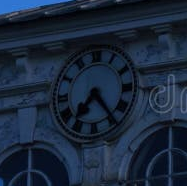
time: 7:24
